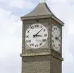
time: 3:07
